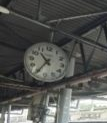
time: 10:35
